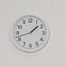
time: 1:42
